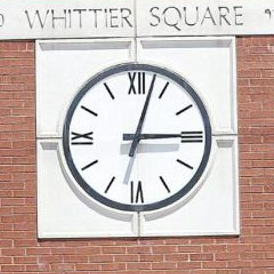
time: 3:02
